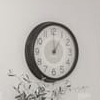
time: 1:00
